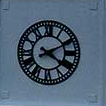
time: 4:10
